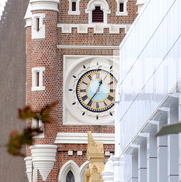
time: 12:35
